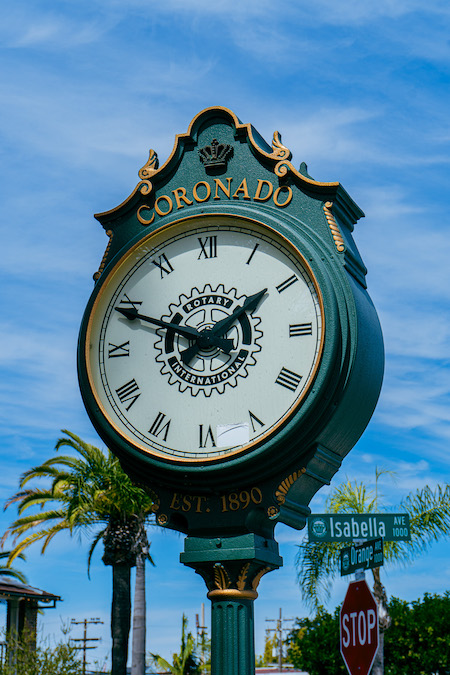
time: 1:49
